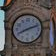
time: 8:11
